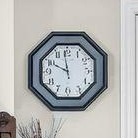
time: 9:58
